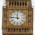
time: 11:46
